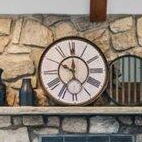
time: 10:00
